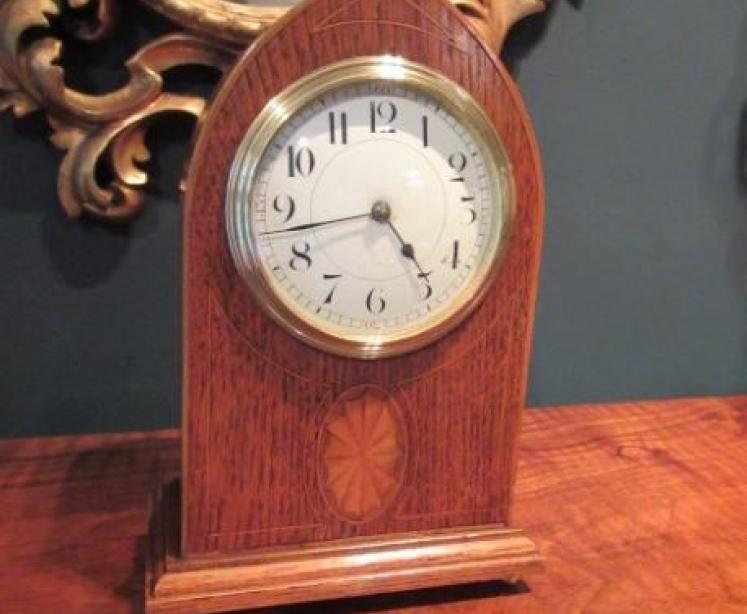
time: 4:42
